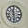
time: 11:28
